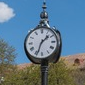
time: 1:33
